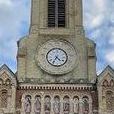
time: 4:35
